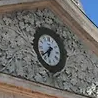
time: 6:38
